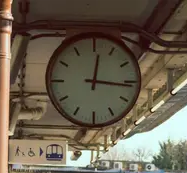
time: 12:16
